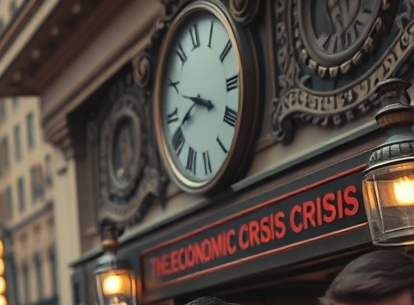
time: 3:40
